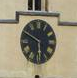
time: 5:49
